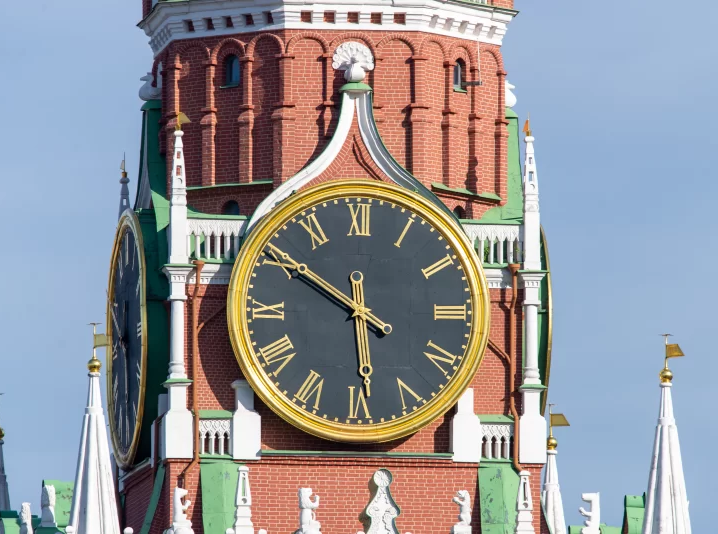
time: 5:50
